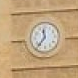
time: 11:36
